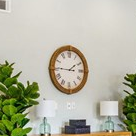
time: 1:45
